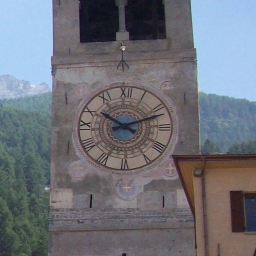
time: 10:11
